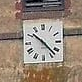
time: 10:22
